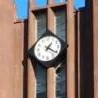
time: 1:20
